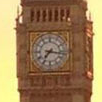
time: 7:16
